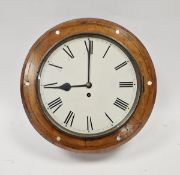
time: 9:00
